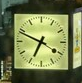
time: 6:48
